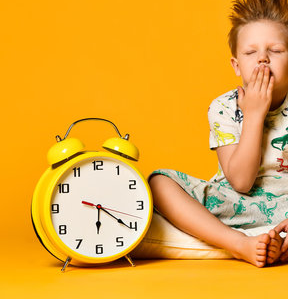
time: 6:20
